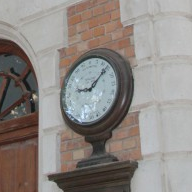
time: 9:07
